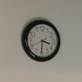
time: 3:30
